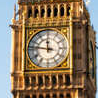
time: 11:46
